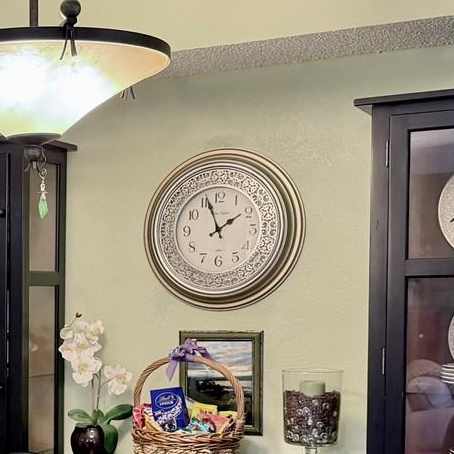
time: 1:56
